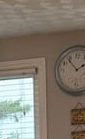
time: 1:53
